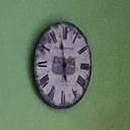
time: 5:58
